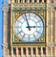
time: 2:57
